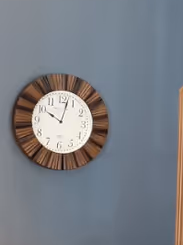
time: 10:02
